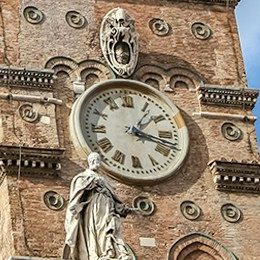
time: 1:18
